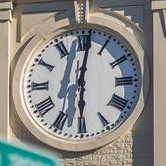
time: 6:01
